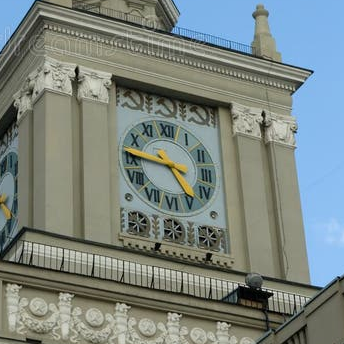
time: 4:45
